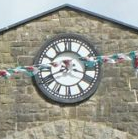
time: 8:17
